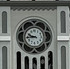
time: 9:43
